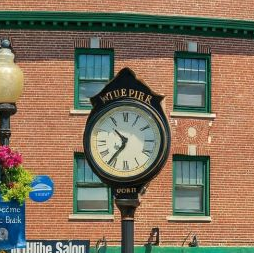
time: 10:36
